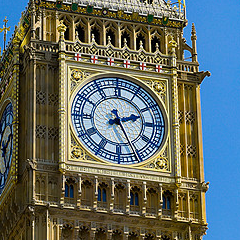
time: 2:25
